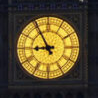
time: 8:54
